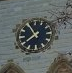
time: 7:55
